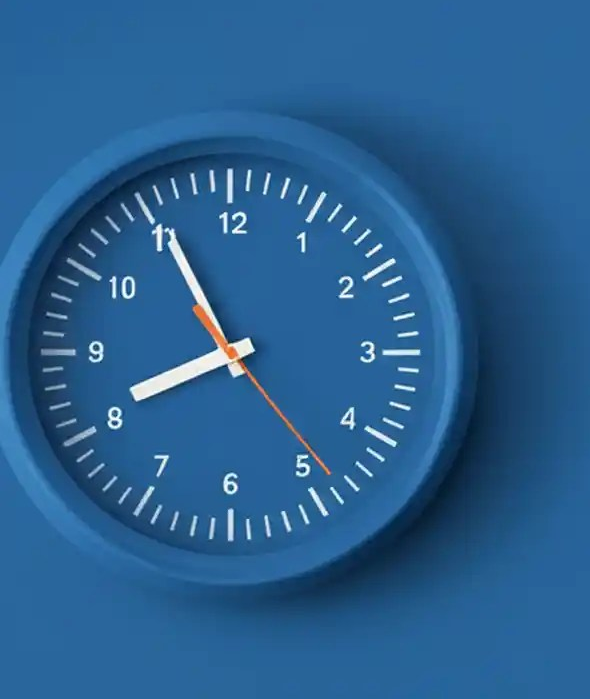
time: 7:55
